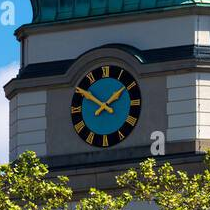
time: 1:50
